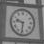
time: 9:31
